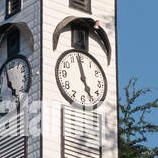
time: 4:58
